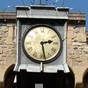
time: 2:28
